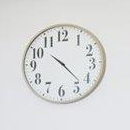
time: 10:22
